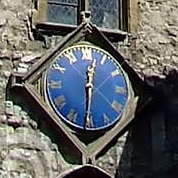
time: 12:30
